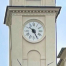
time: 10:25
